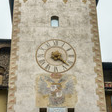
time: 4:21
